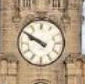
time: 9:50
